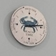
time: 2:13
